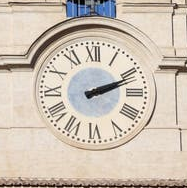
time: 2:11
